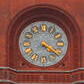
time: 4:21
